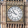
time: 10:48
